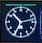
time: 10:34
